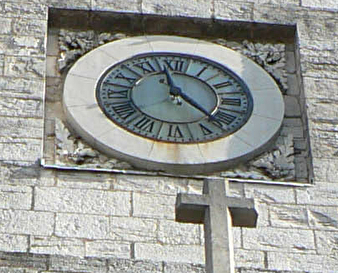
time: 11:22
